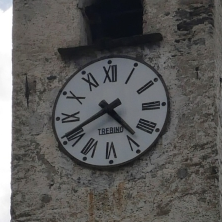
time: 4:40
